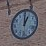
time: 1:00
